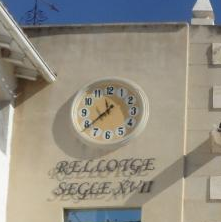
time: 7:38
